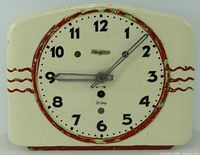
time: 9:07
